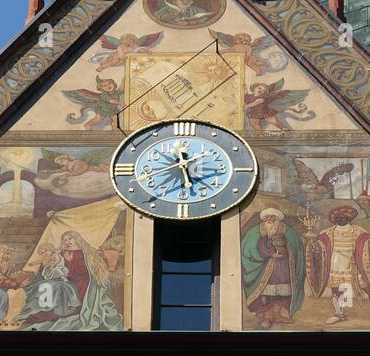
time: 5:36
